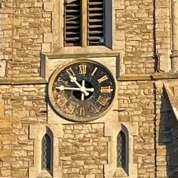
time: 10:45
